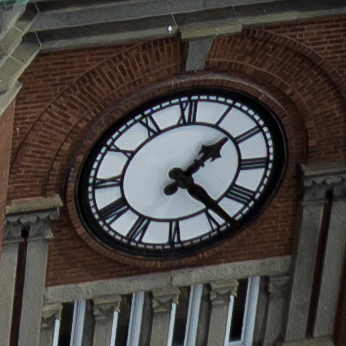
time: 1:23
